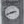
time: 2:41
